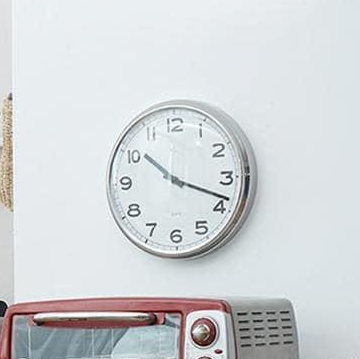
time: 10:18
